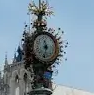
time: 11:32
